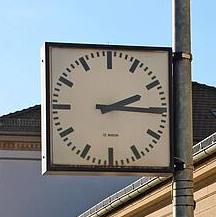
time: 2:15
